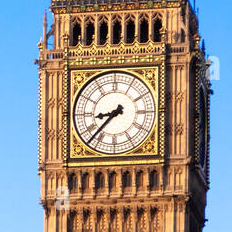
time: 8:37
